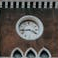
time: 3:43
